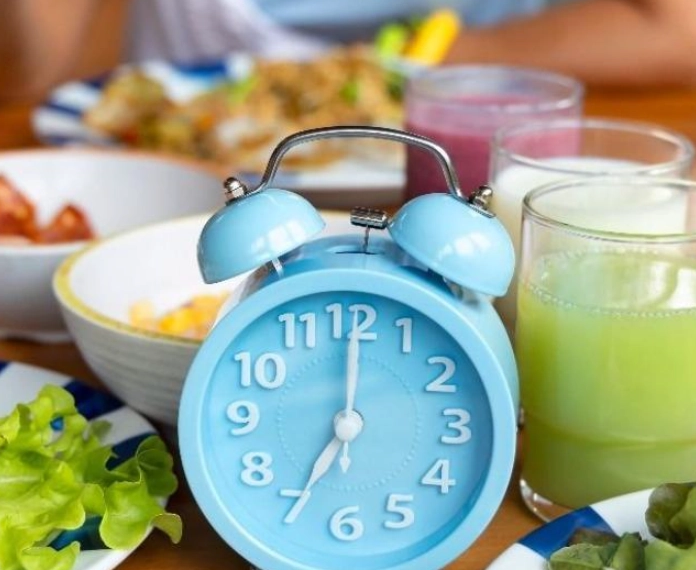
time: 7:00
